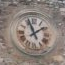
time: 1:56
